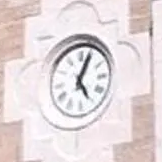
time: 5:04
